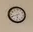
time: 5:41
